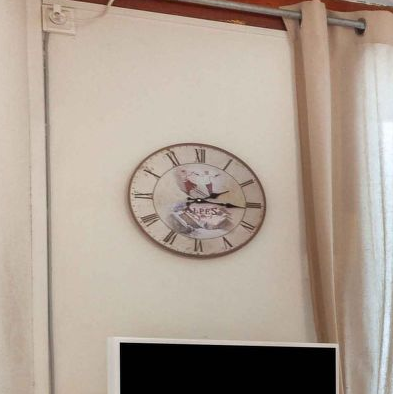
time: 2:15
